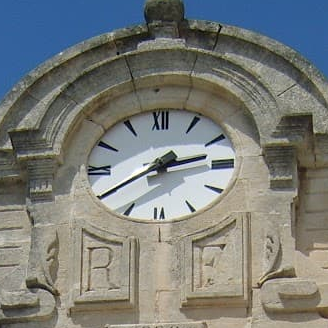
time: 2:39
